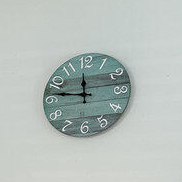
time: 11:46
